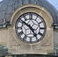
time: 4:50
